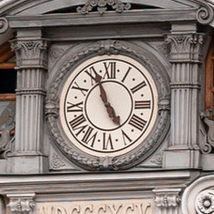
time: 4:56
